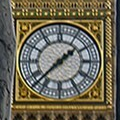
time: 1:37
